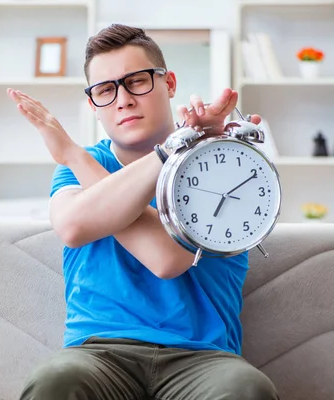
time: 7:10
